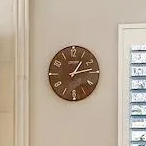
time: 1:13
